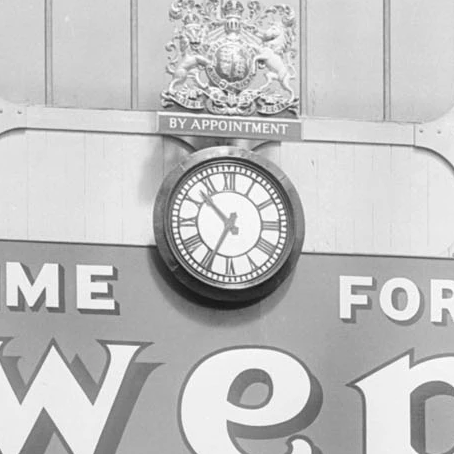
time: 10:34
